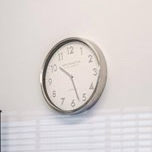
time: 10:27
